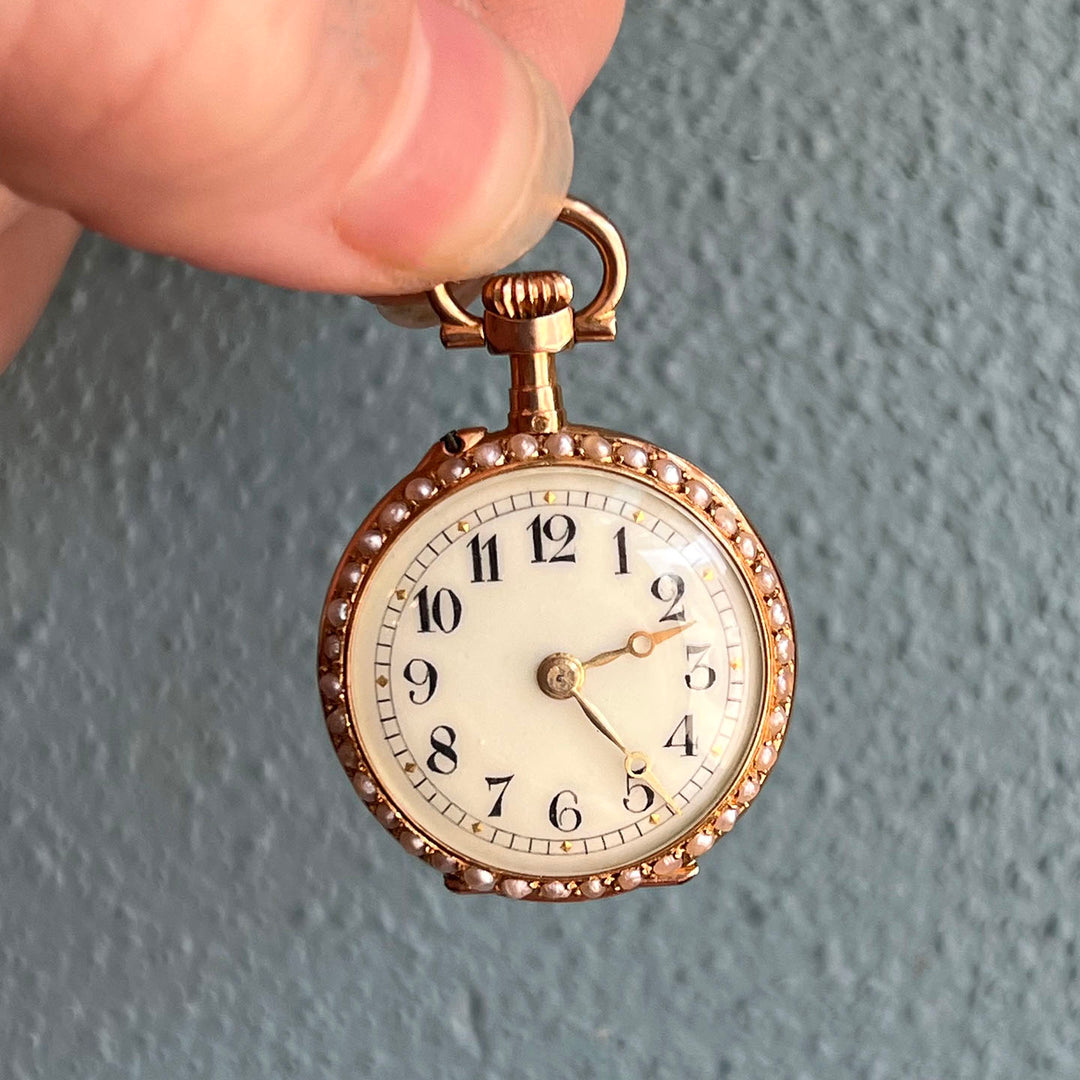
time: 2:23
